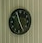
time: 11:25
